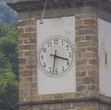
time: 3:32
